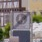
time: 1:37
